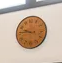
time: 9:45
